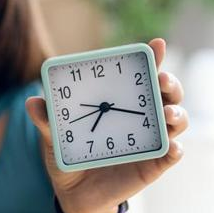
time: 7:18
